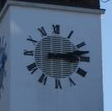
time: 3:12
